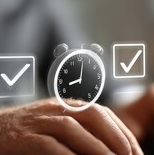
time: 9:01
